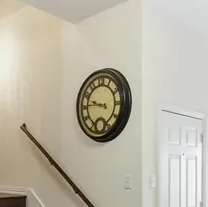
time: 9:45
